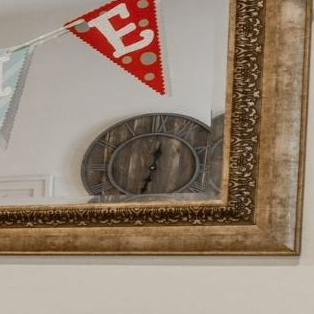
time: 12:32
